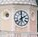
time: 1:59
